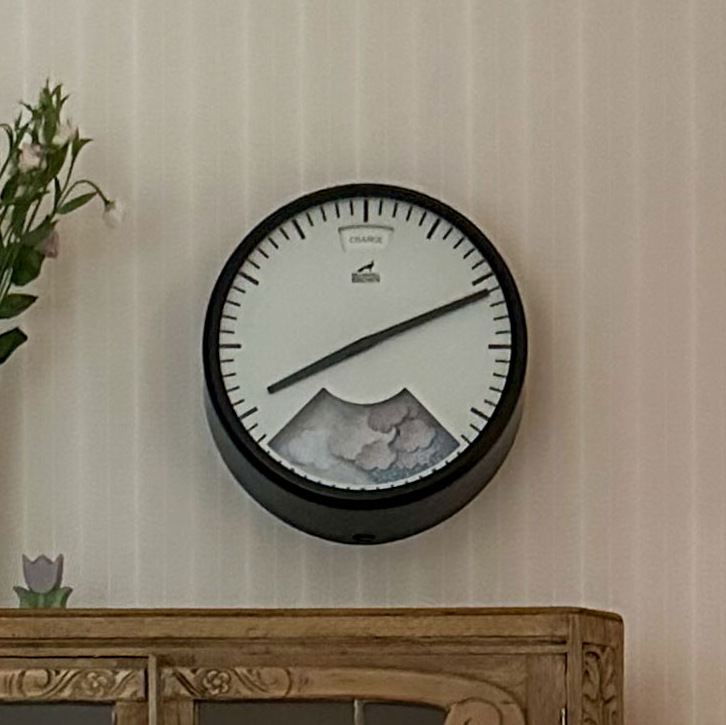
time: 8:11
